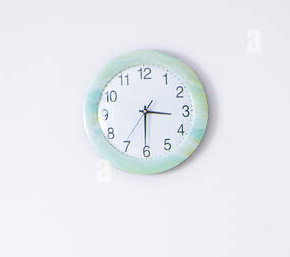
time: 3:30
